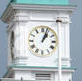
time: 1:03
